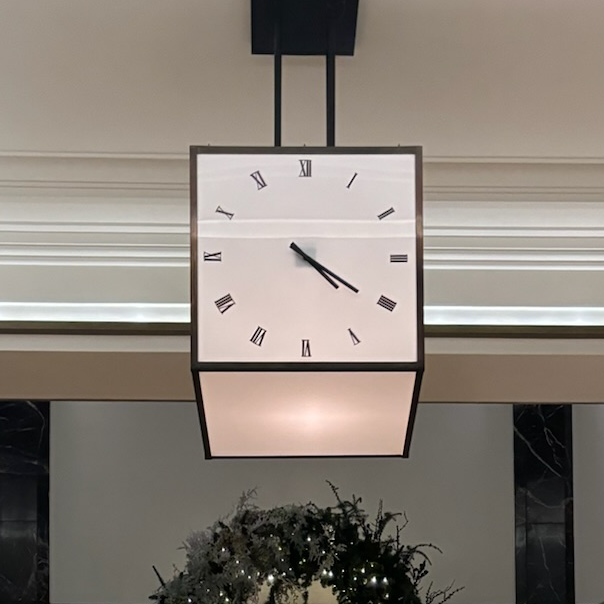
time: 4:20
